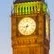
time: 8:33
